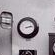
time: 2:12
